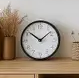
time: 10:08
